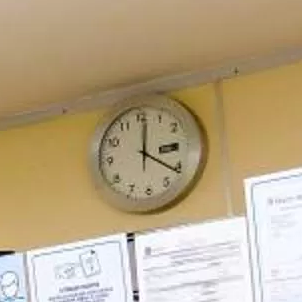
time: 12:21
